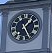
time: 1:25
